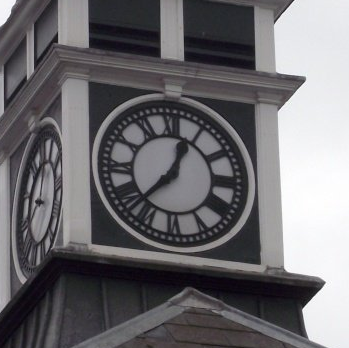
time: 12:37
